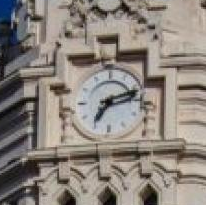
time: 7:12
